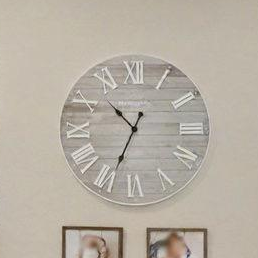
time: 10:34
